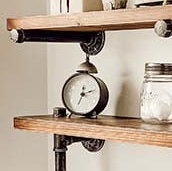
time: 2:33
